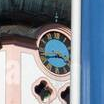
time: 3:43
